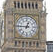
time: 12:45
